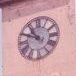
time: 10:48
